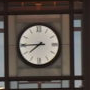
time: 7:44
